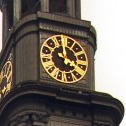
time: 3:58
